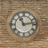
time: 11:13
